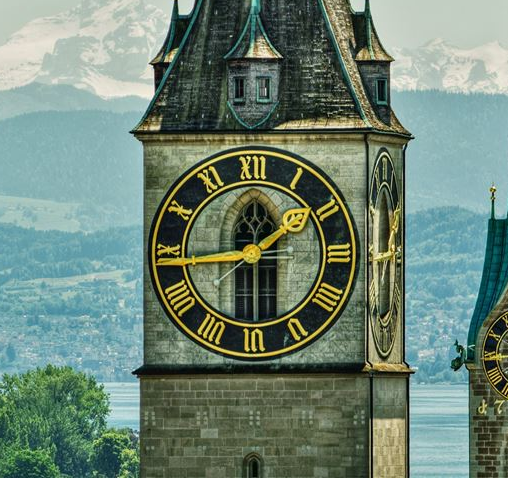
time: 1:44
